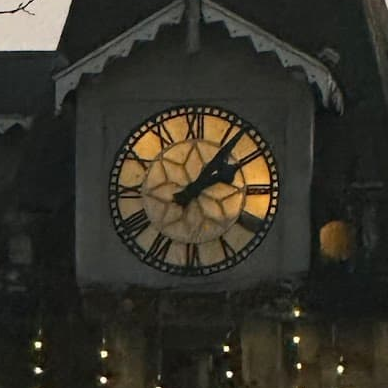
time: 2:06
